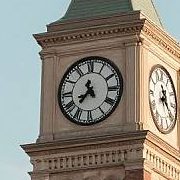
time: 11:37
